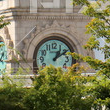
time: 1:09
